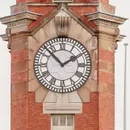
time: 1:52
